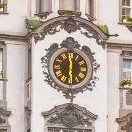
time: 5:59
